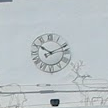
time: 10:11
